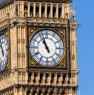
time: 10:56
